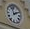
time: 1:56
